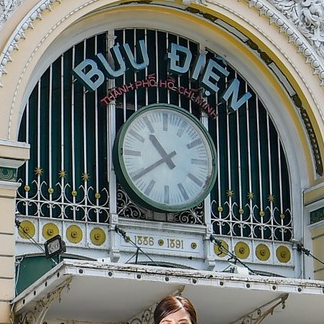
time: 10:39
